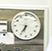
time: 6:35
